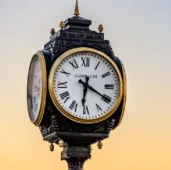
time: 6:20
